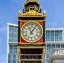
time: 11:05
